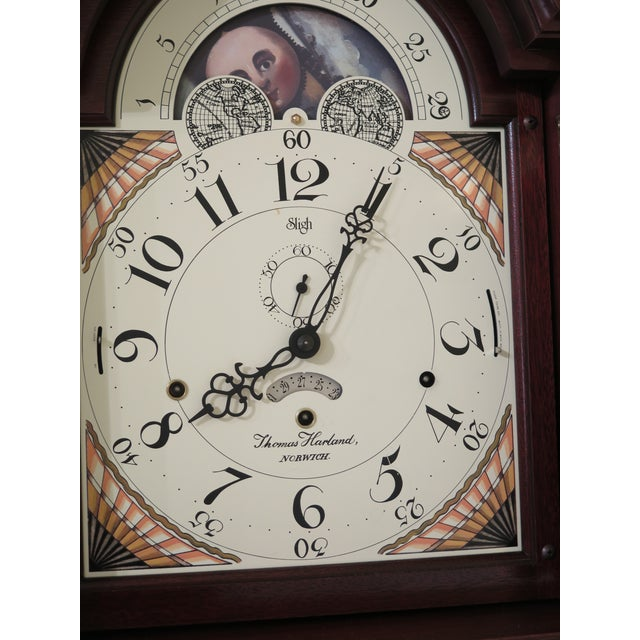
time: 8:04
